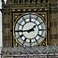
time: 1:44
